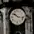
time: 10:17
